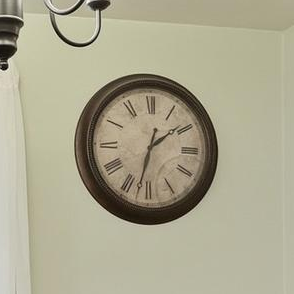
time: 1:32
